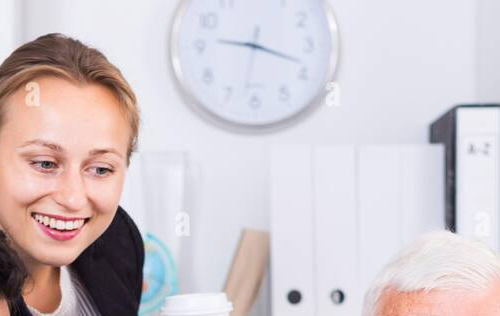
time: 9:18
